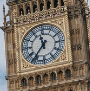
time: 11:36
